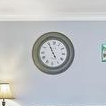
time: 4:55
